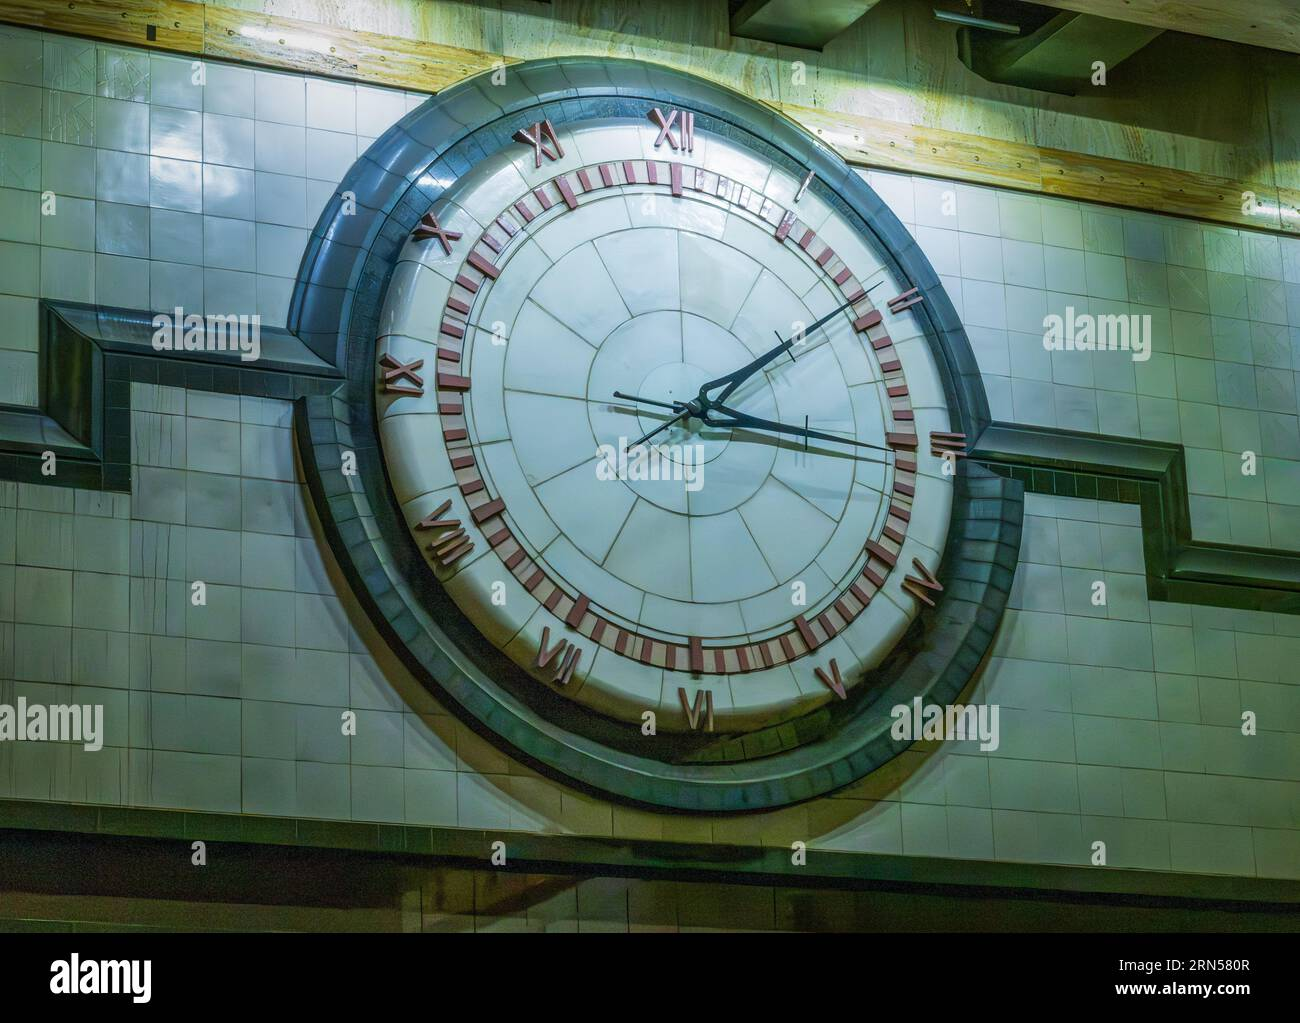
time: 3:09
